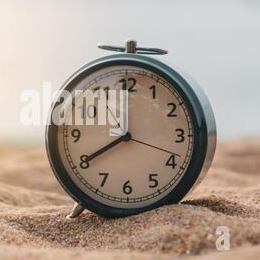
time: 8:00
